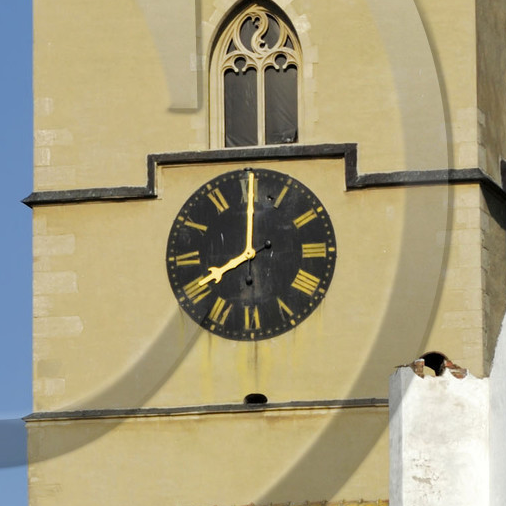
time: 8:00
